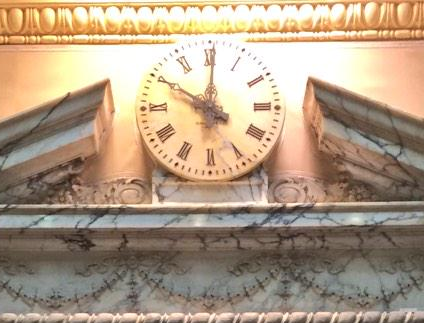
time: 10:00
